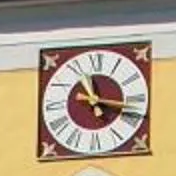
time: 11:17
